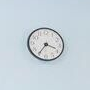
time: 3:35
